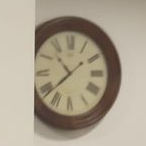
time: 10:38
